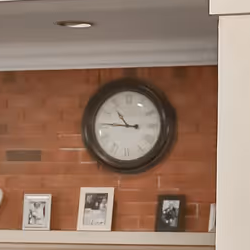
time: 10:45
